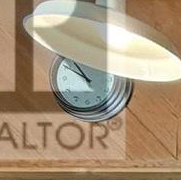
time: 10:50
